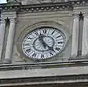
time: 11:22
